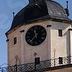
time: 11:37
